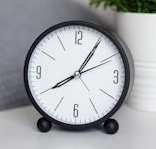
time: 8:05
